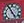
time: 4:55
